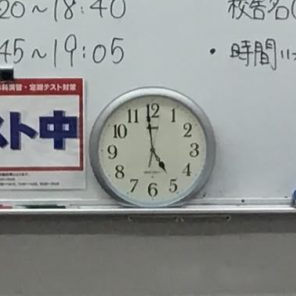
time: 4:59
